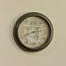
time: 8:12
